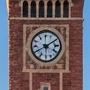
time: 8:09
